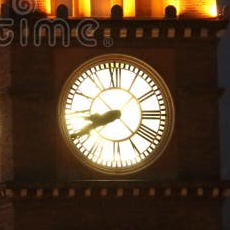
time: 8:40
